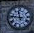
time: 11:46
